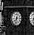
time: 7:32
